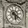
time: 6:20
